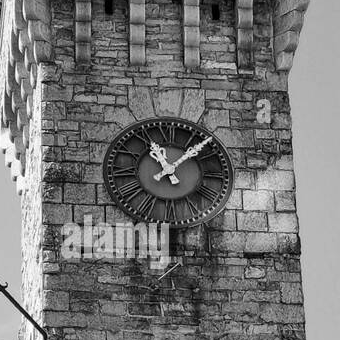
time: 11:07
